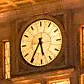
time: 5:35
